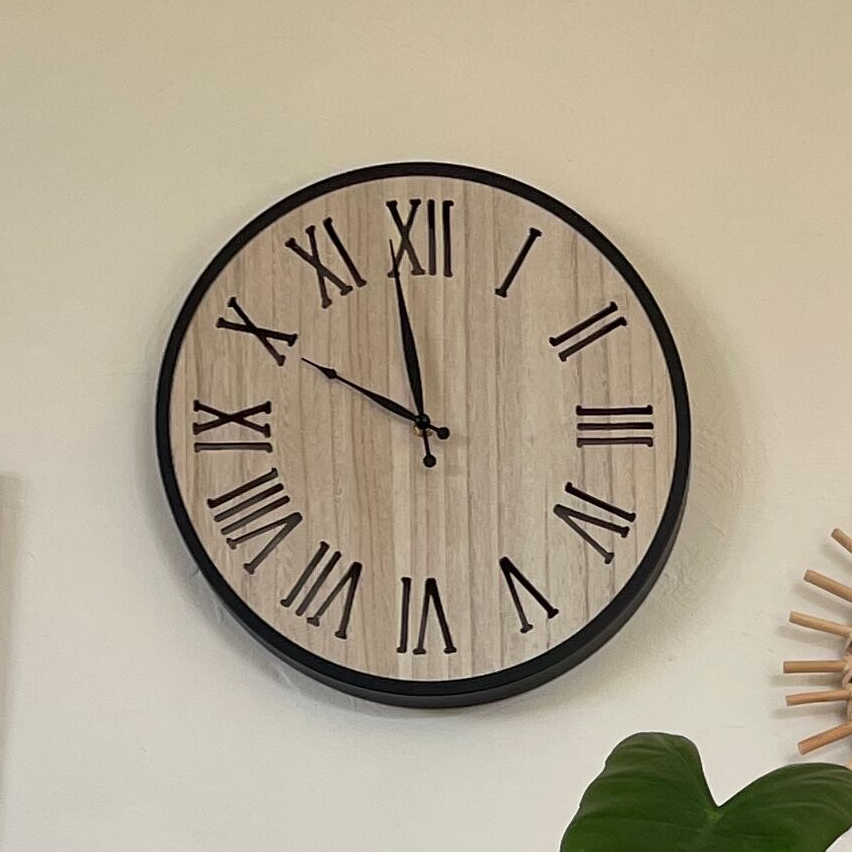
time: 9:58
